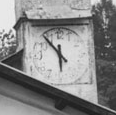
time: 5:53
